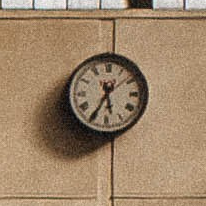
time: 5:34
